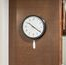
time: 10:20
